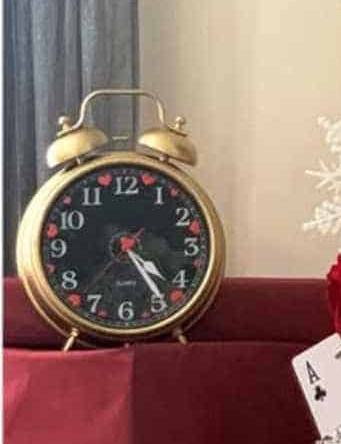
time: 4:24
